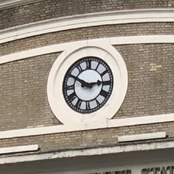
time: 2:49
